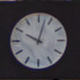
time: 10:02
